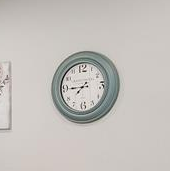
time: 7:44
